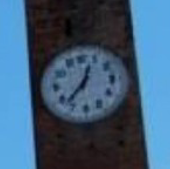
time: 12:37
